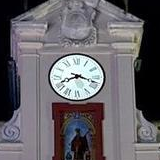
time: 8:18
